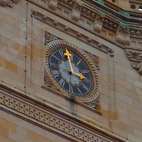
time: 2:58
